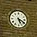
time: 5:19
